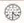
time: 4:31
